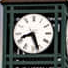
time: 8:26
